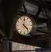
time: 4:22
